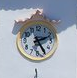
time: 2:24
